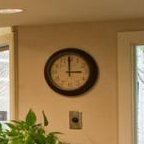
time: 2:59
